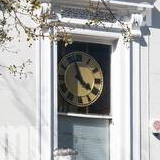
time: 11:21
